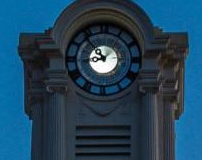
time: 8:53
